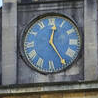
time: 12:24
